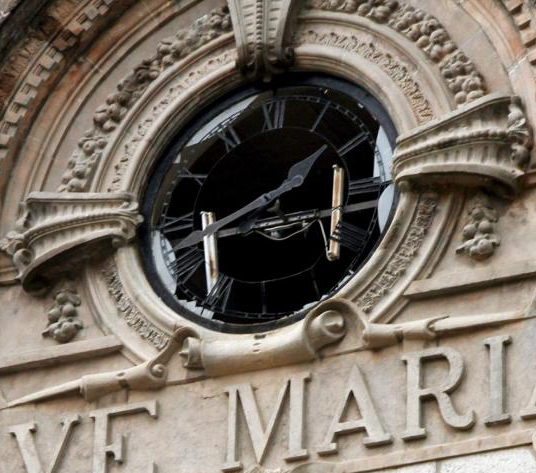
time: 1:41
